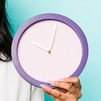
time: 10:00
